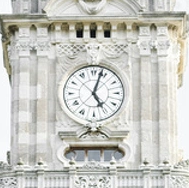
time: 5:03
